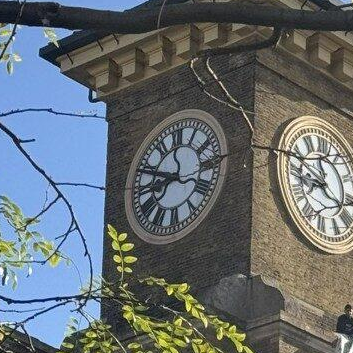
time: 8:48
